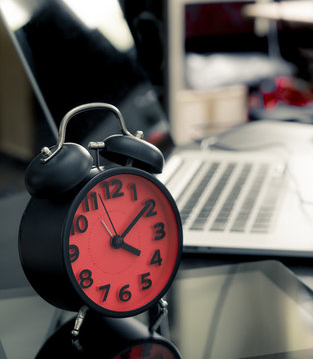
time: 4:09
